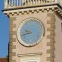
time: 9:42
